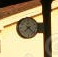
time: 7:22
